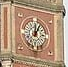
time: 12:05
